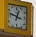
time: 12:47
